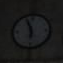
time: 5:56
